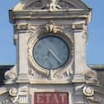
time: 7:23
